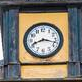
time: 8:17
